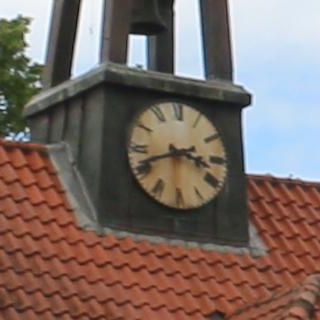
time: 3:41
